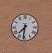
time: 7:31
